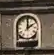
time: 2:00
